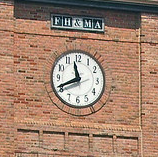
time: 11:41
